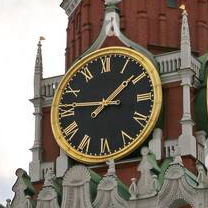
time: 1:46
